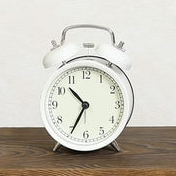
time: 10:34
